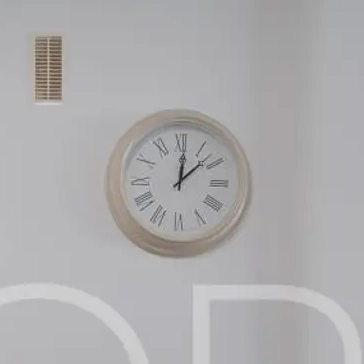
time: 12:07
